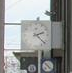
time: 2:21
